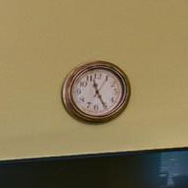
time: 11:25
